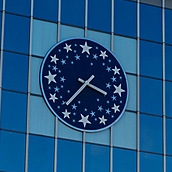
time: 3:36
